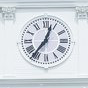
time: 12:36
